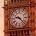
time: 9:22
